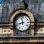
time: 11:42
